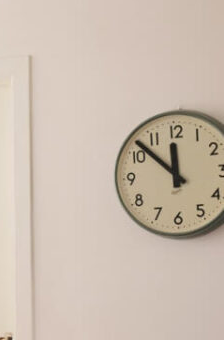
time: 11:52
